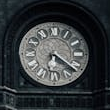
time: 4:21
